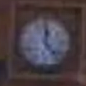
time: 12:23
